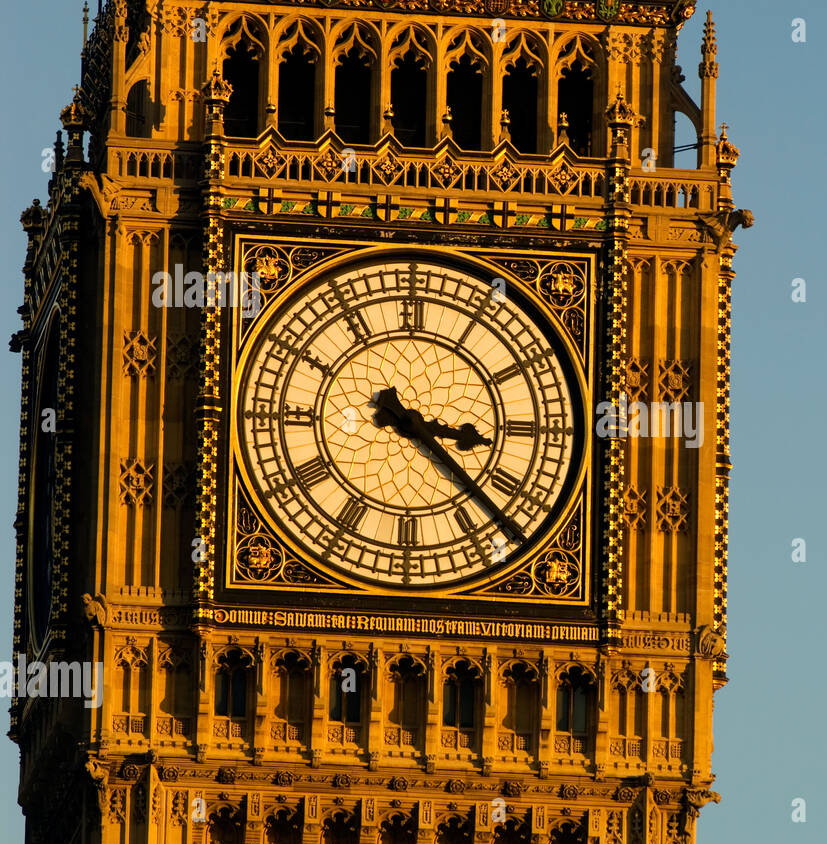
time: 3:22
